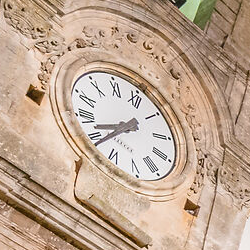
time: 8:38
